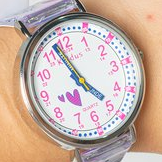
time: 4:57
